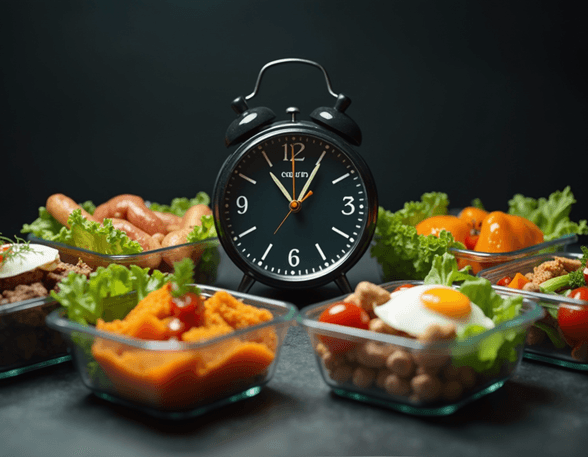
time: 11:05
